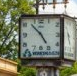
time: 4:52
